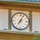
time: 7:04
